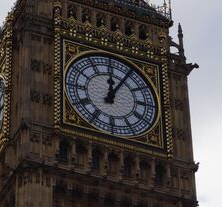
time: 12:05
